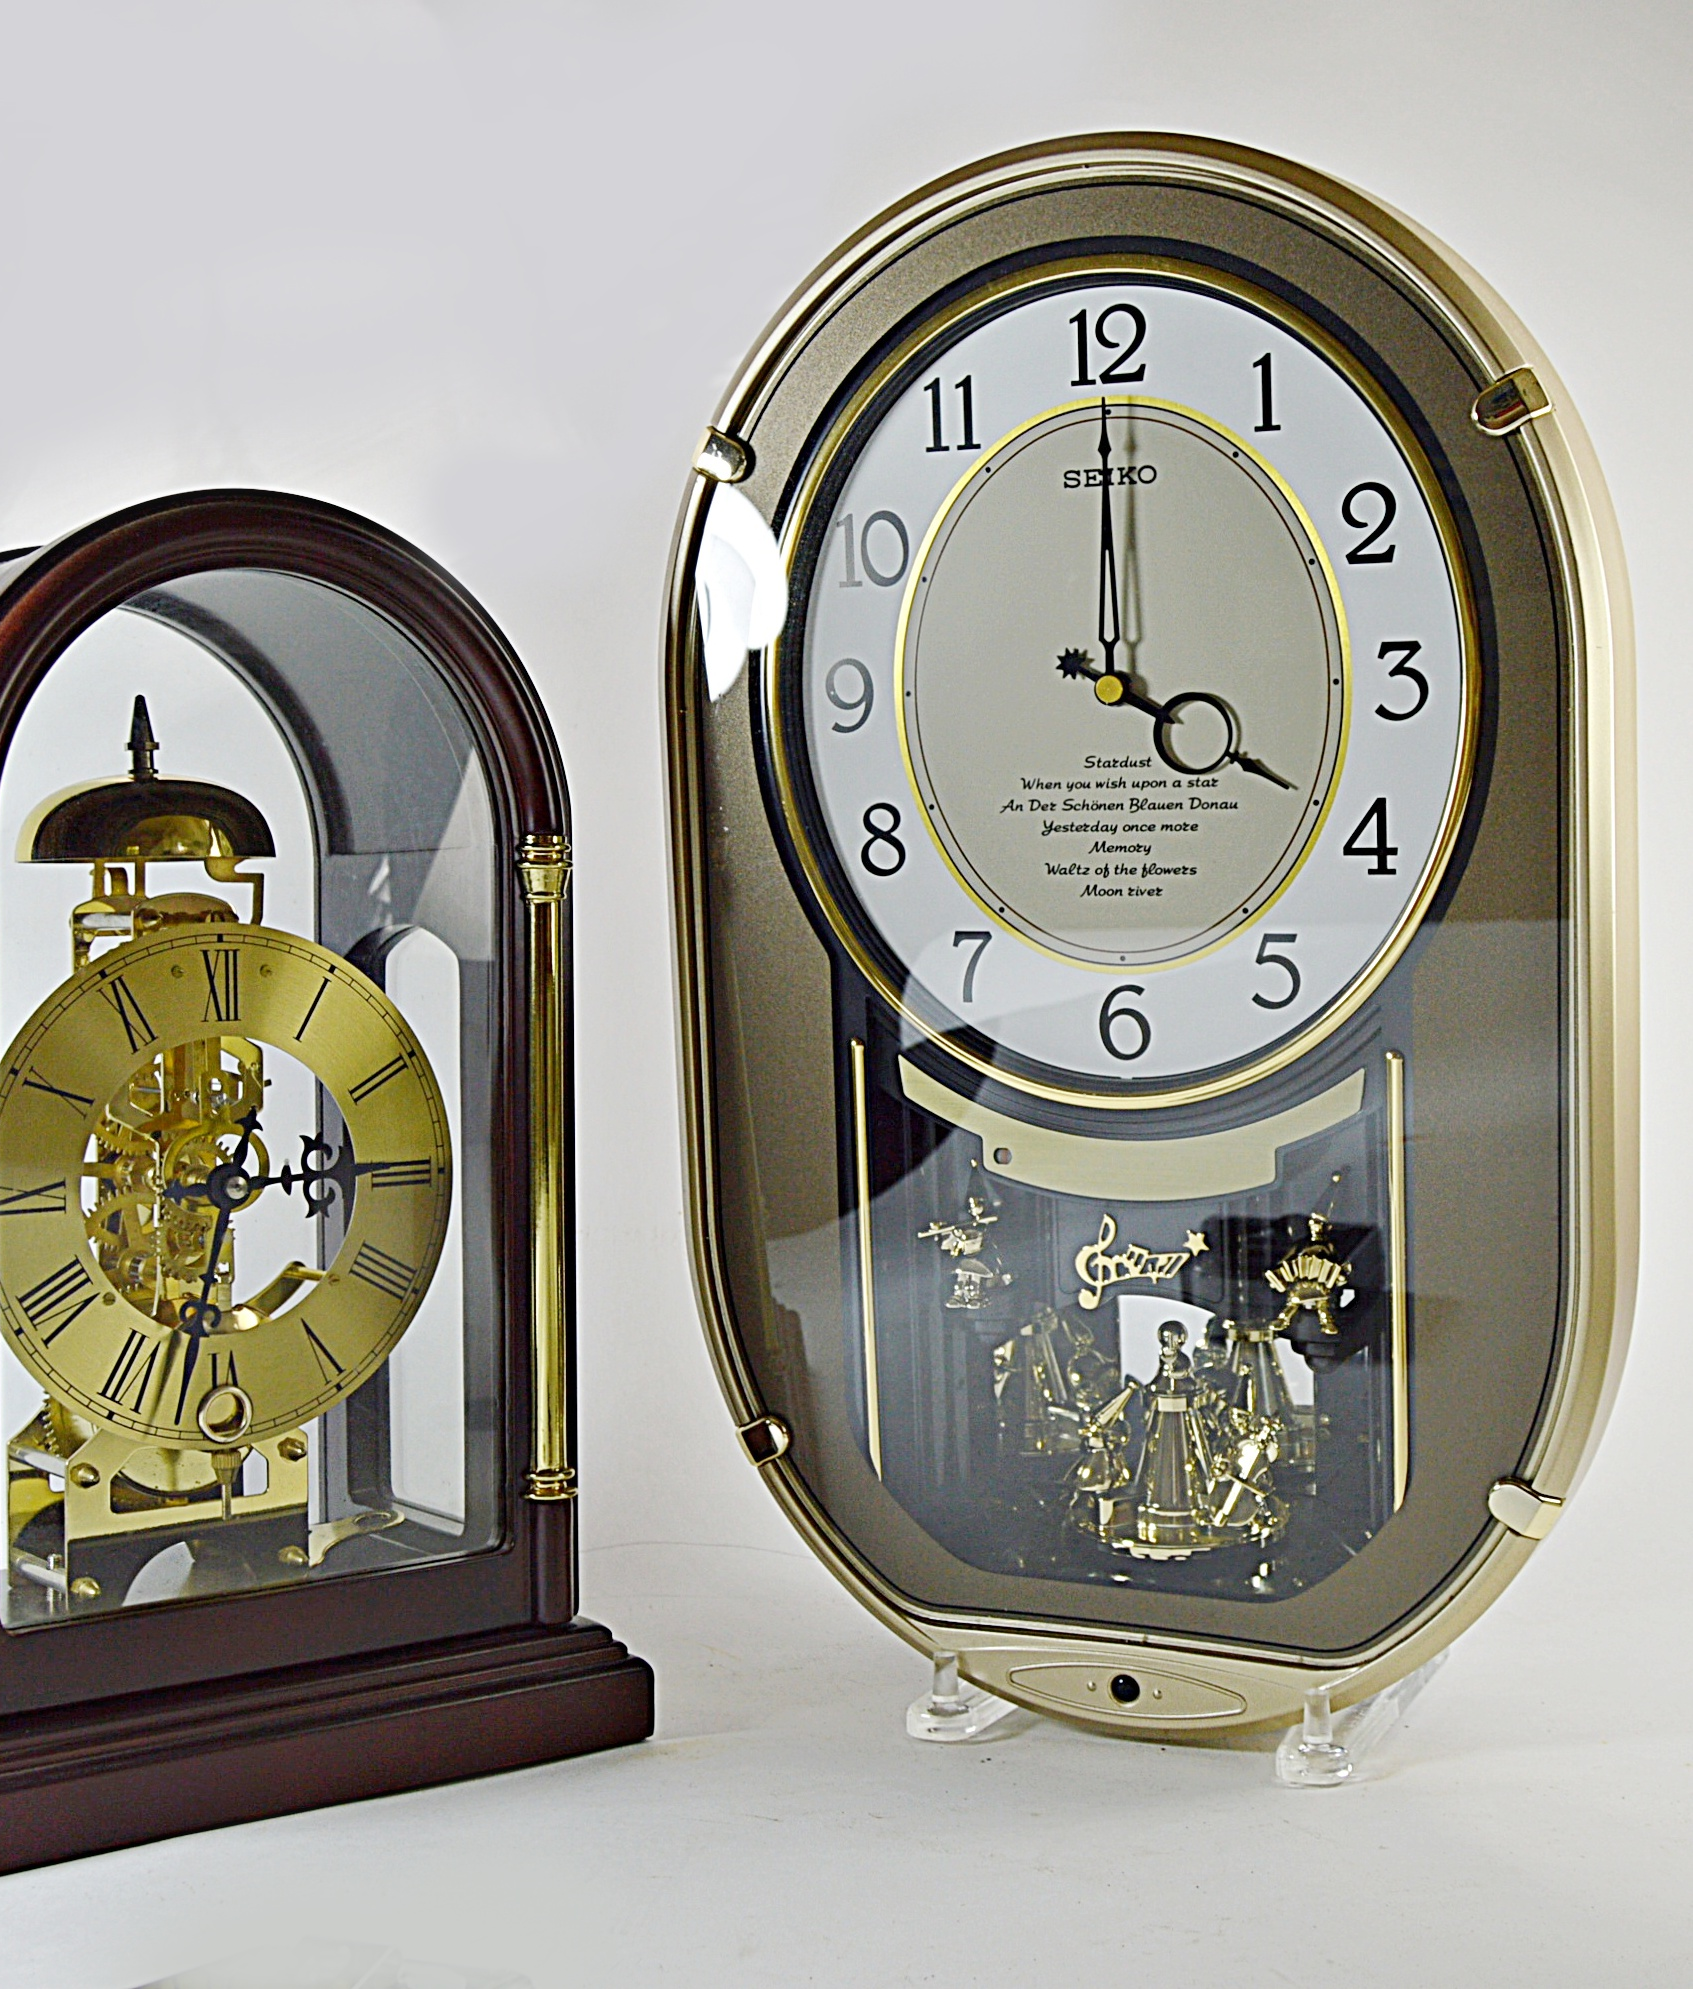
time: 4:00
